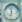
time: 11:32
